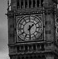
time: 1:30
